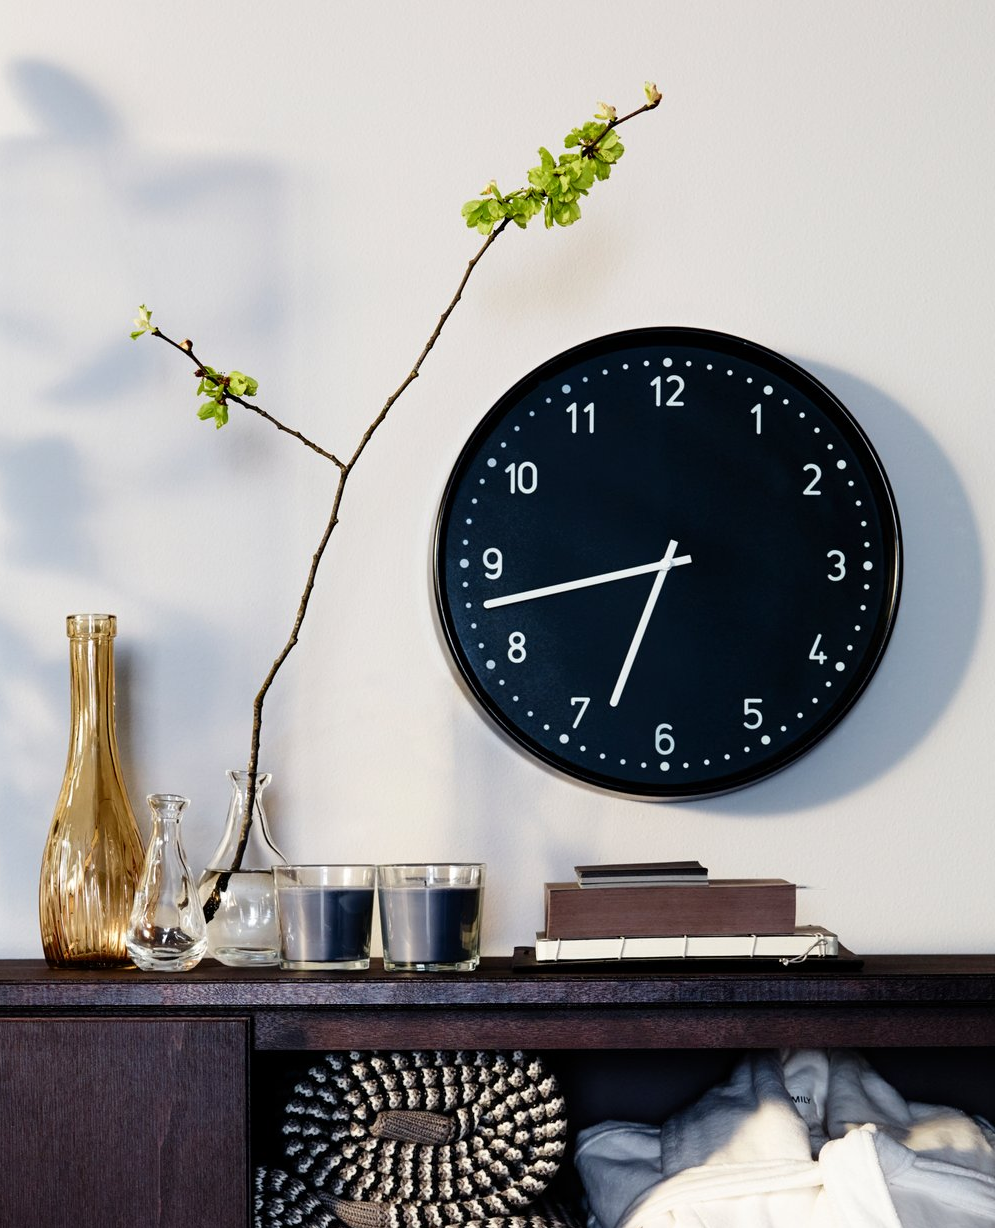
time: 6:42
